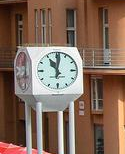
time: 11:01
